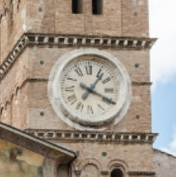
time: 1:19
